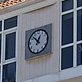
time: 12:52
